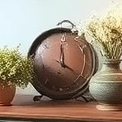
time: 3:59
